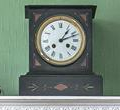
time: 1:11
